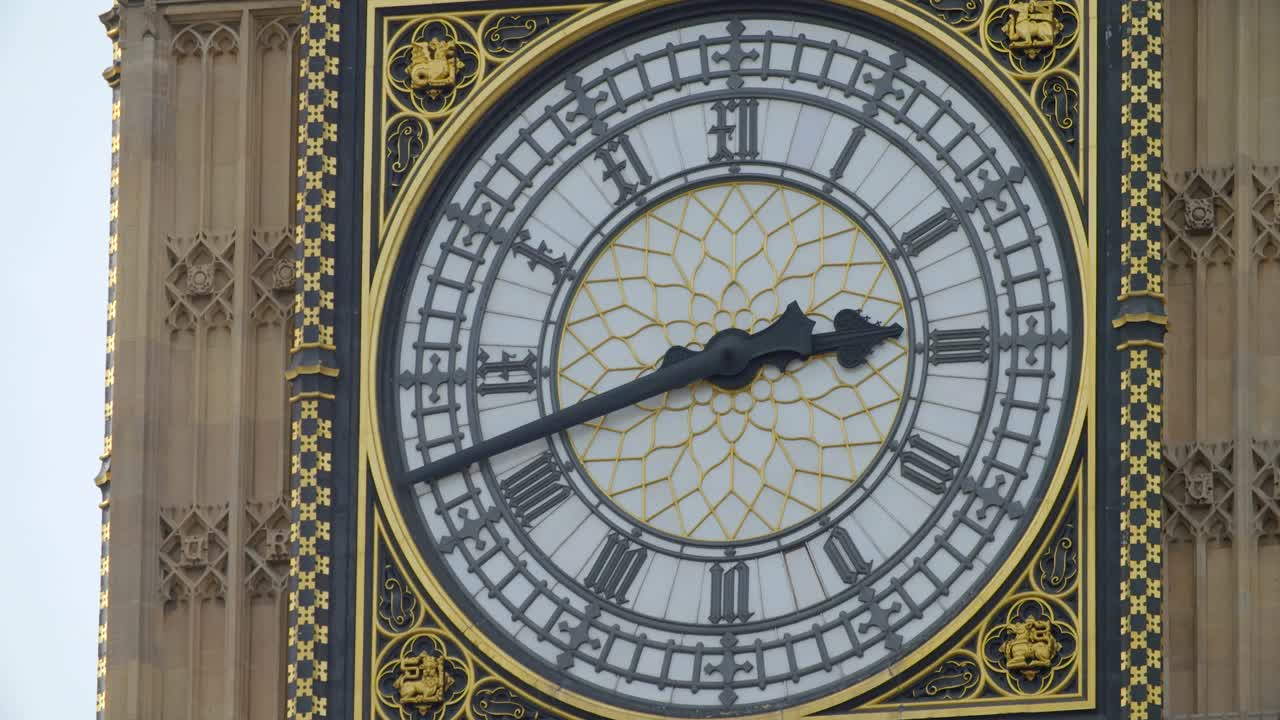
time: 2:42
